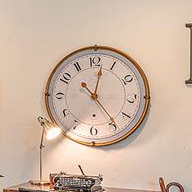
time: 12:23
